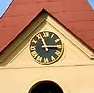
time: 11:14
